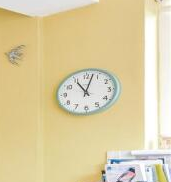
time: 11:02
